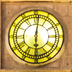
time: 6:01
